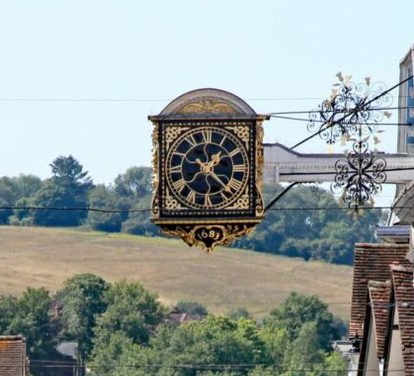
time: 1:22
